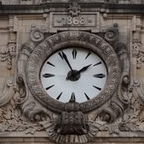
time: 1:55
